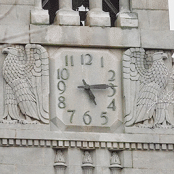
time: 5:13
